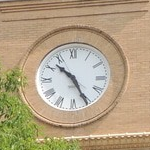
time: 10:25
